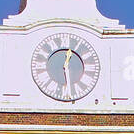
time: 12:28
